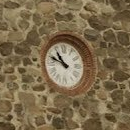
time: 10:48
